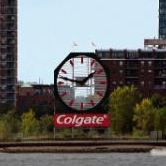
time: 1:47
